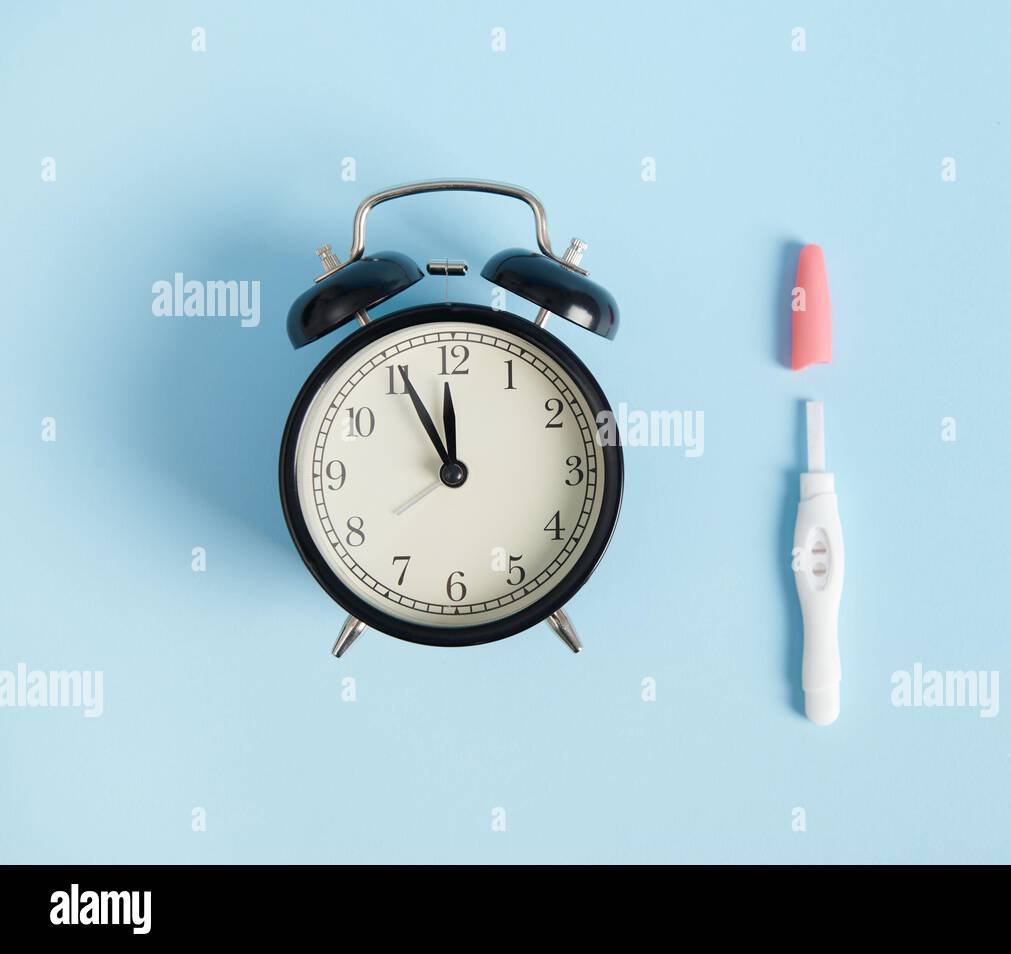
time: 11:55
